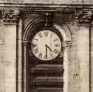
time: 4:29
